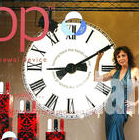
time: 3:09
